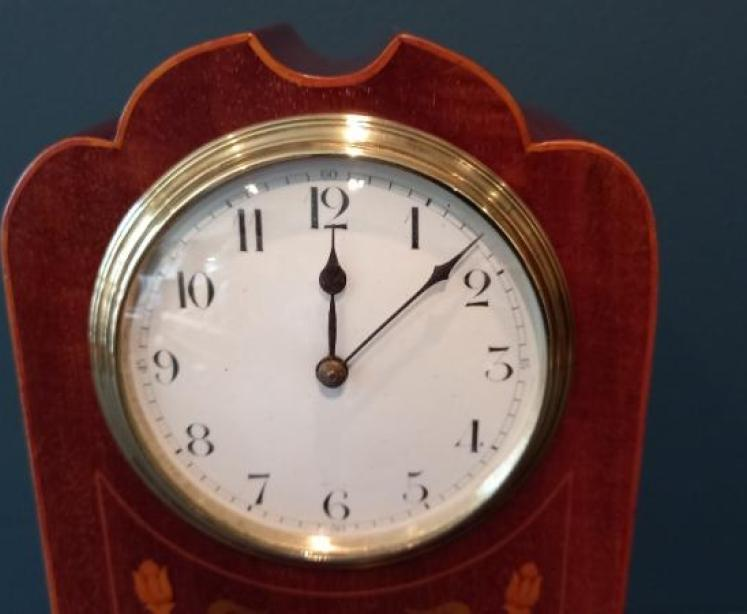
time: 12:07
